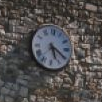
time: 5:20
